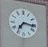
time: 7:16
